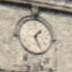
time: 1:26
